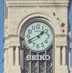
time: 1:41
